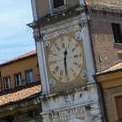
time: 12:30
